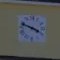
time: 3:48
